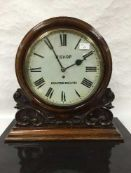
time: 1:55
